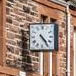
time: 4:23
